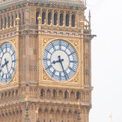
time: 8:26
